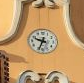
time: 9:33
